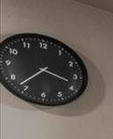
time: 3:36
